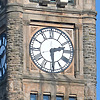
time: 2:29
